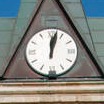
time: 12:02
